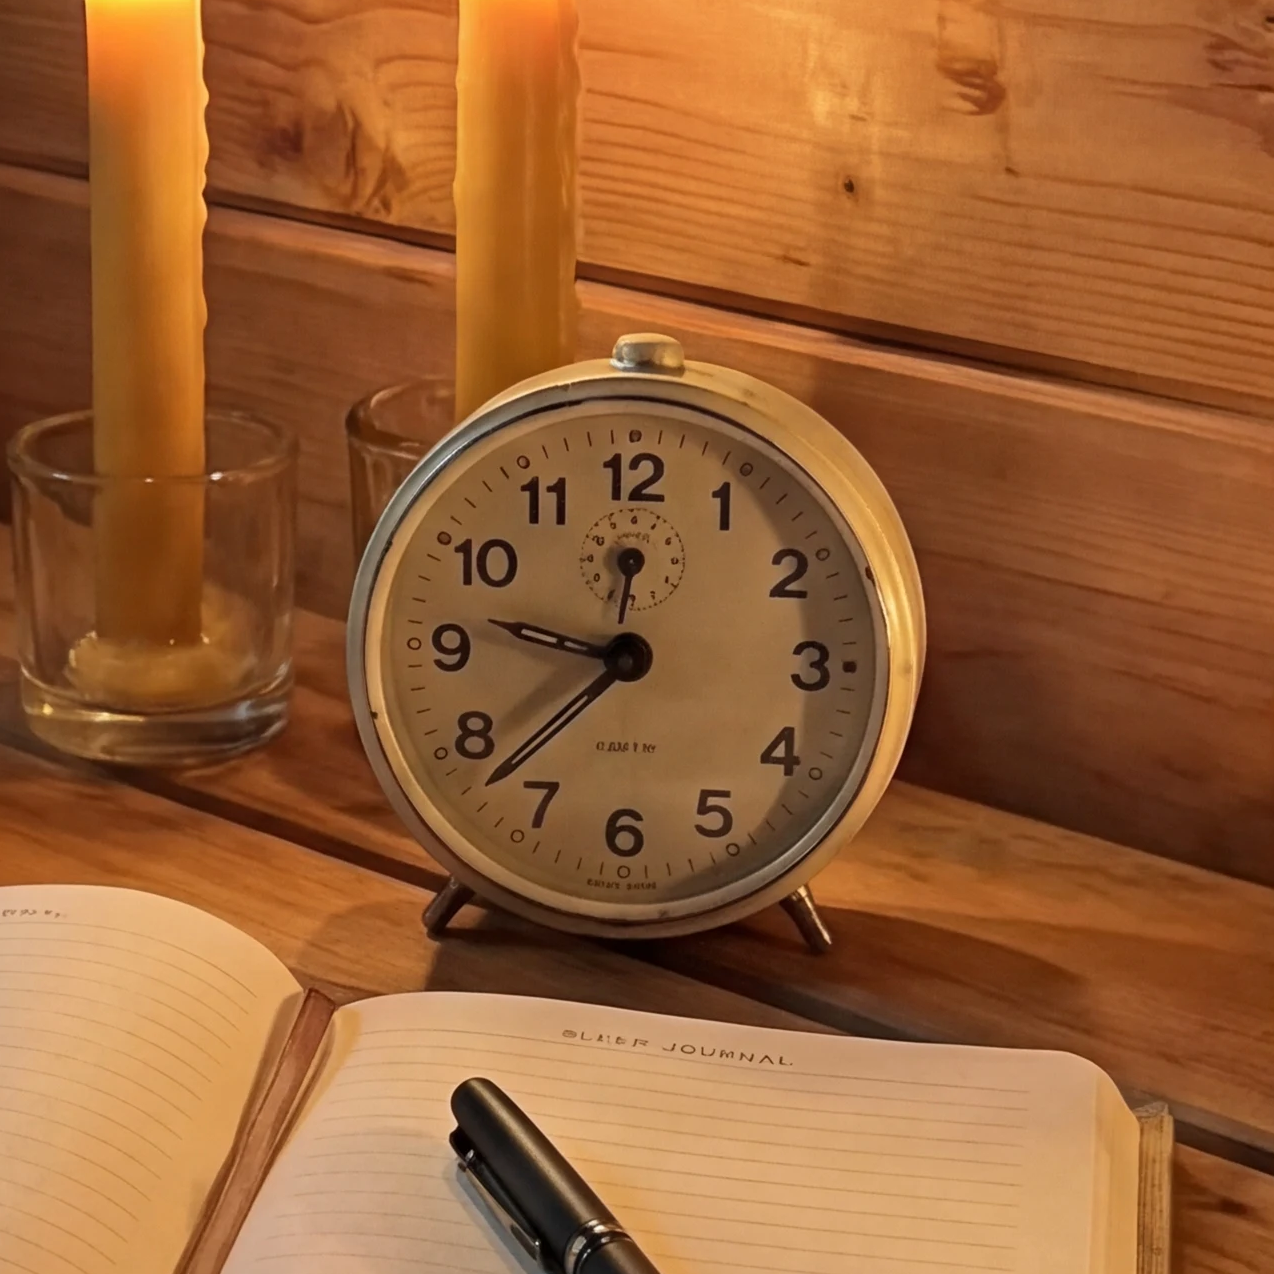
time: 9:37
